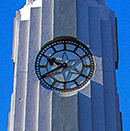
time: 9:40
